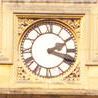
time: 2:18
